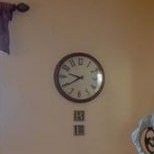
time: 9:39
